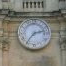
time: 2:36
